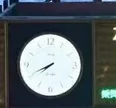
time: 7:40
